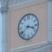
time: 3:38
